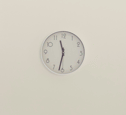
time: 11:31
